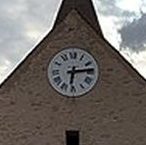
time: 6:13
